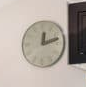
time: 12:12
